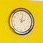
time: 2:02
